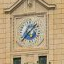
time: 1:37
